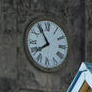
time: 7:54
